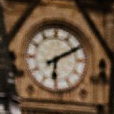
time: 6:10
